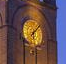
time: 6:07
